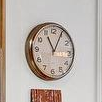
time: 11:04
